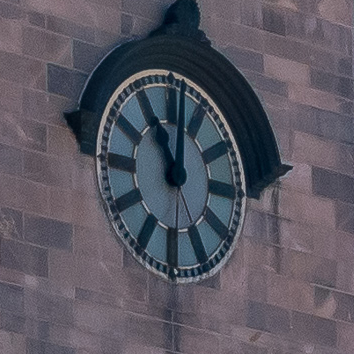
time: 11:02
